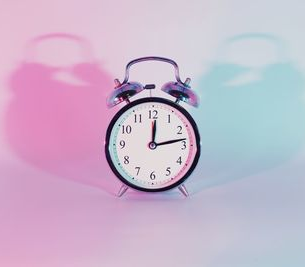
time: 12:13
